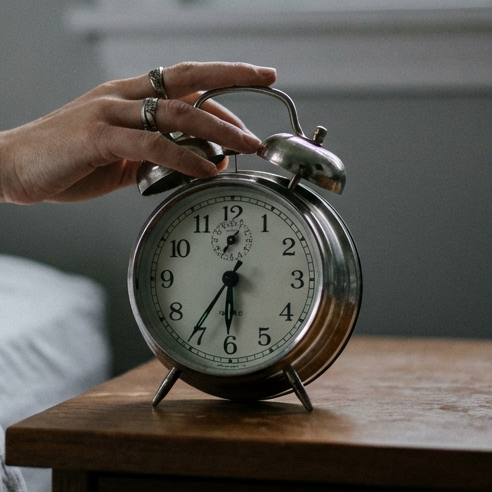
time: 5:35
